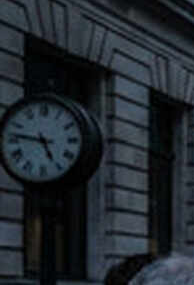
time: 4:46
